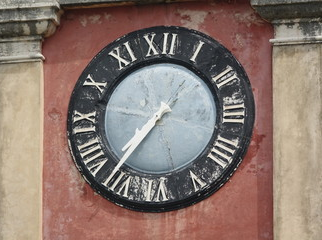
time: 7:36
